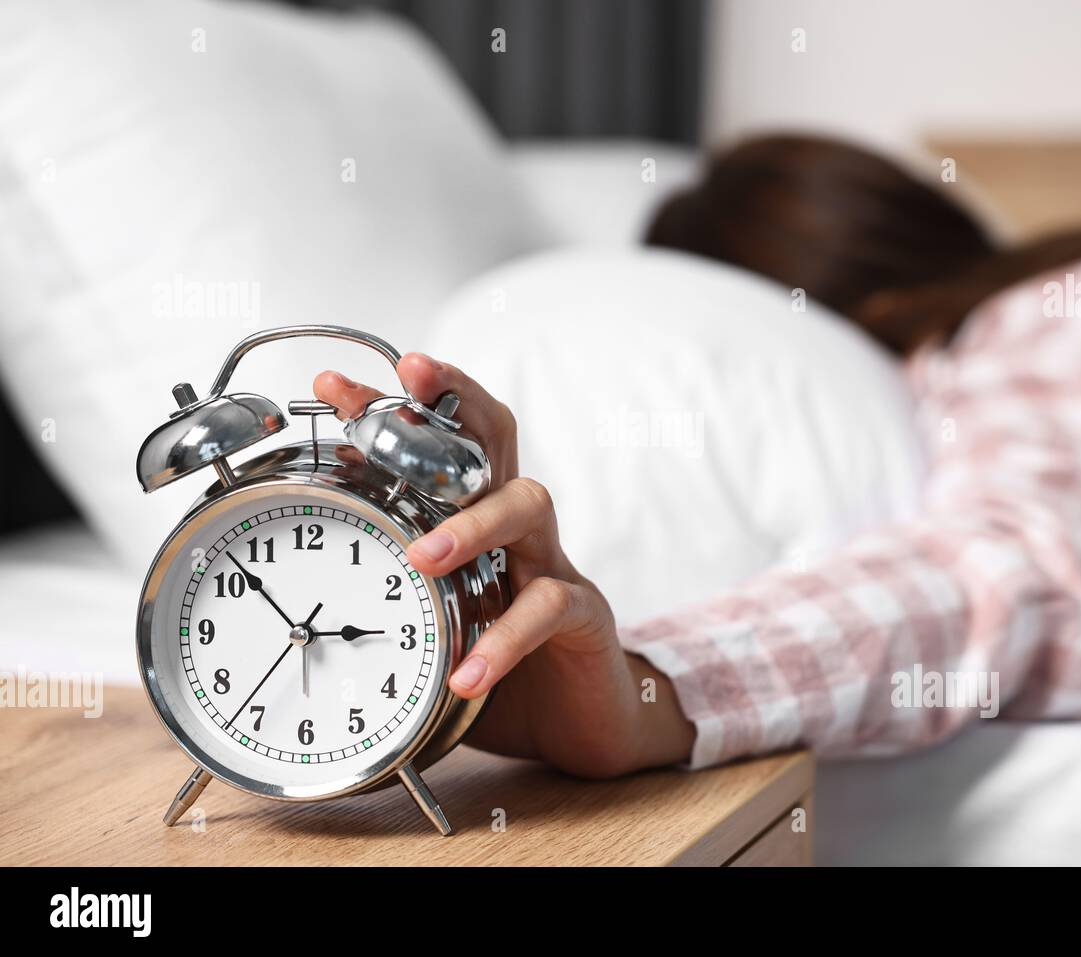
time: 2:52
